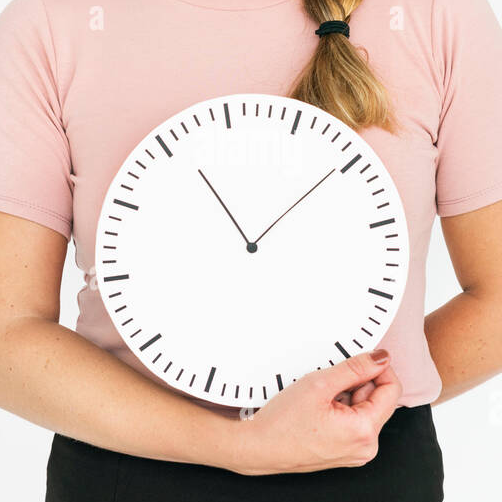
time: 11:09
